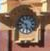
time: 5:49
